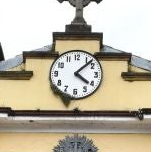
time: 4:07
